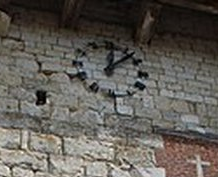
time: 12:07
